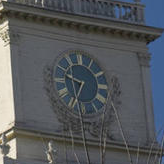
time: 9:34
